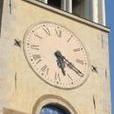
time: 5:18
